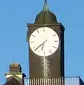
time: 6:38
